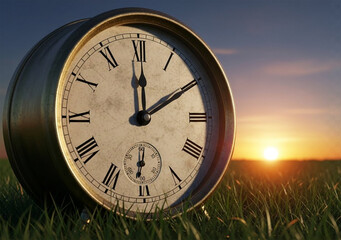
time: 12:09
